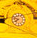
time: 7:48
